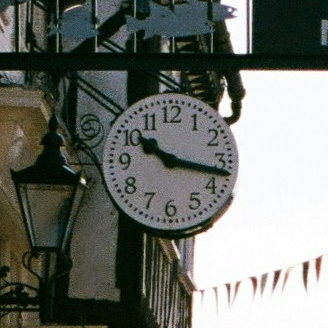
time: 10:17
